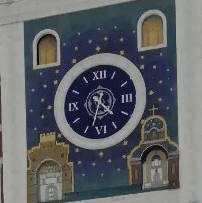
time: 4:33
